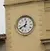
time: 12:40
